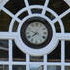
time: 7:47
